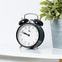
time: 9:48
